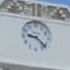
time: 9:22
